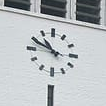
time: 10:49
